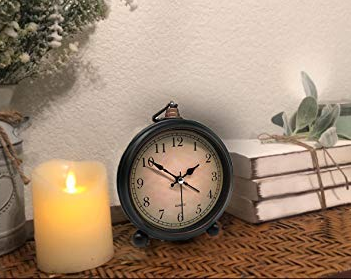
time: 1:50
